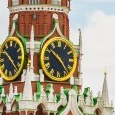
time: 10:23
